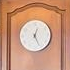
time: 12:26
